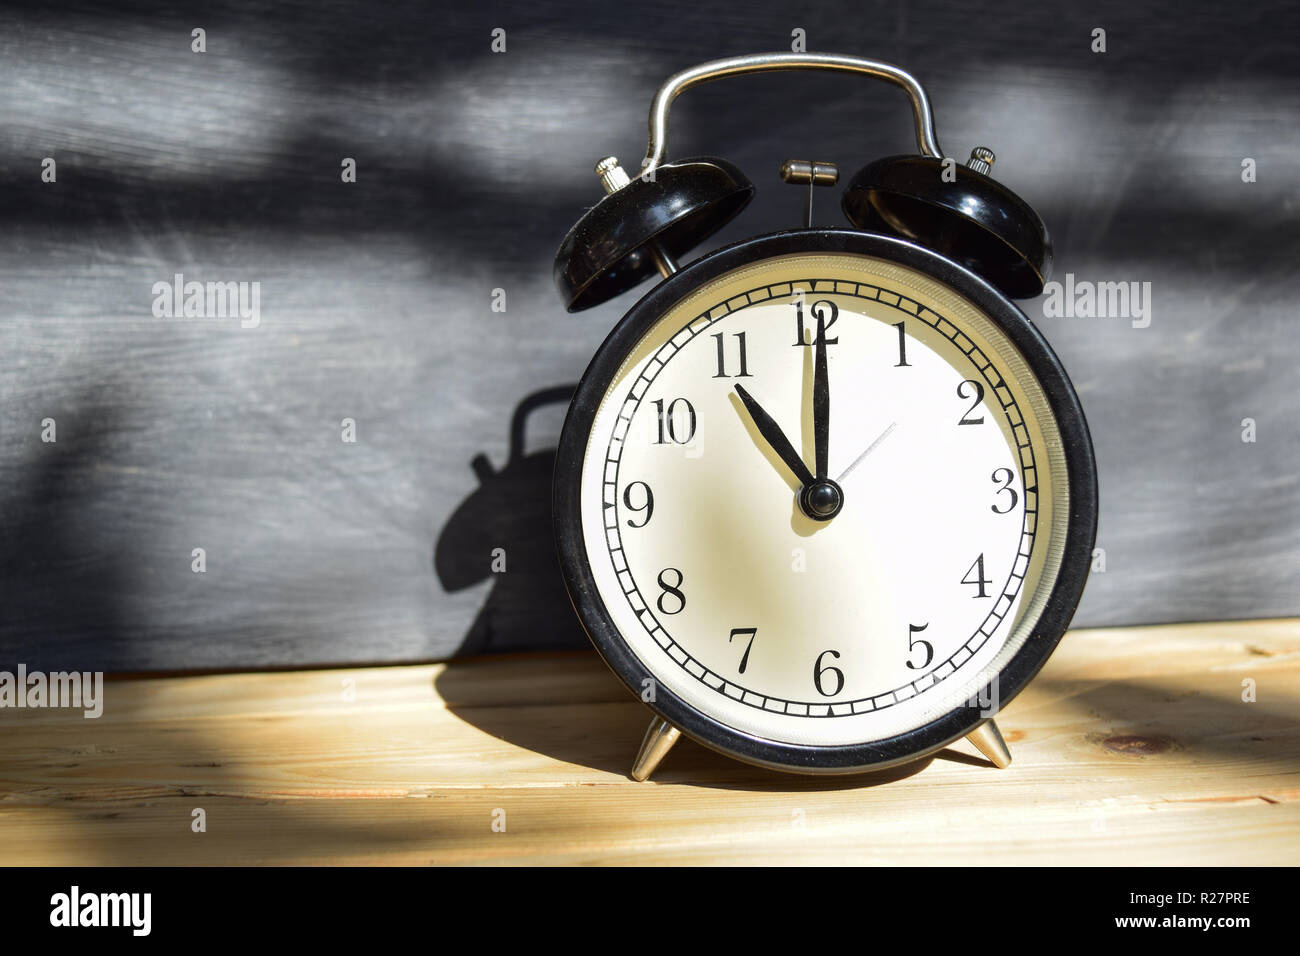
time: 11:00
